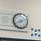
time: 8:12
